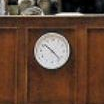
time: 10:22
